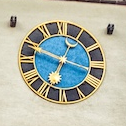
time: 6:48
